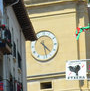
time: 4:28
